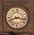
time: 8:17
